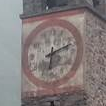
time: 6:11
